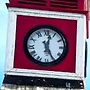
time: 12:25
